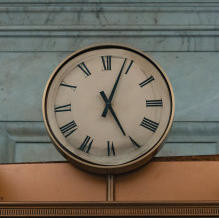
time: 5:03
